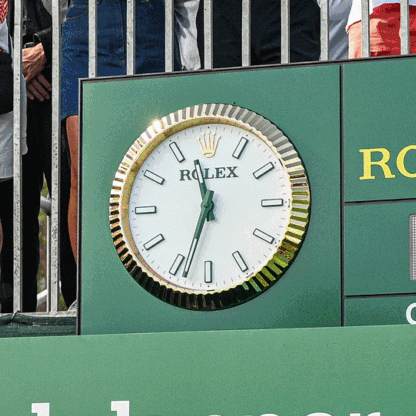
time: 11:33
